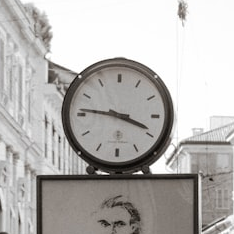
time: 3:46
